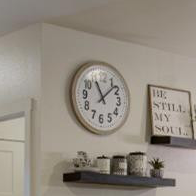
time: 11:07
